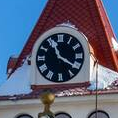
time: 11:20
